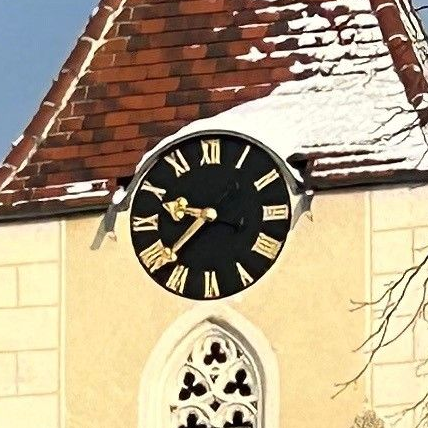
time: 9:38
